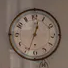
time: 12:33
